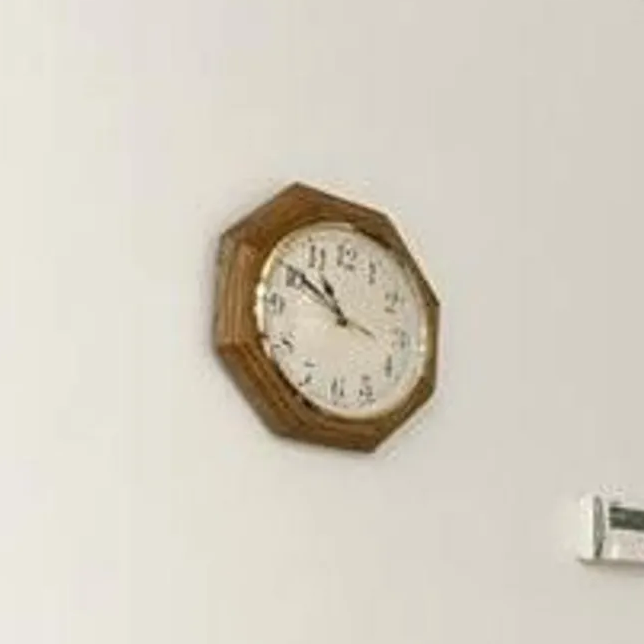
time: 10:50
